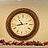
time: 10:42
